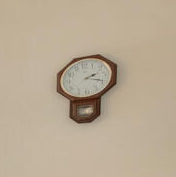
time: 2:18
